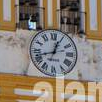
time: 12:42
